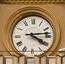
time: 4:13
